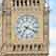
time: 7:18
